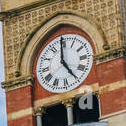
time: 4:59
